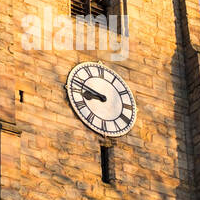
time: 8:47
